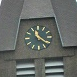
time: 11:21
